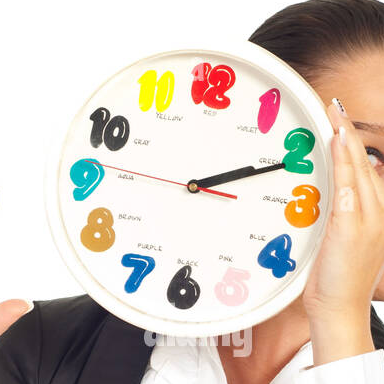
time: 2:11
